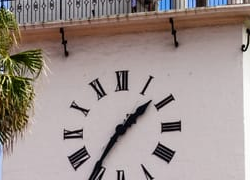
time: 1:35
